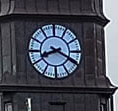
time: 8:19
